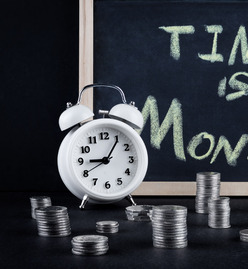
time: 9:05
